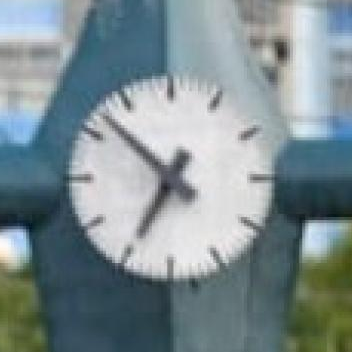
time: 6:52
